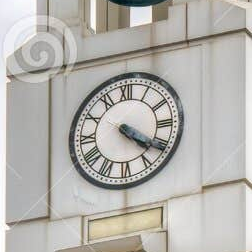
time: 4:20
